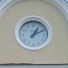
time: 1:10
